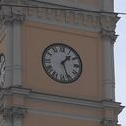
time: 1:26
